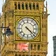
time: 4:22
